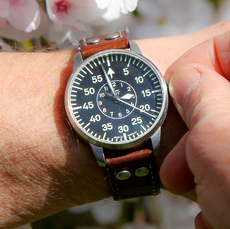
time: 11:21
